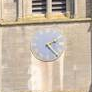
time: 2:23
